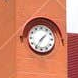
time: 1:35
